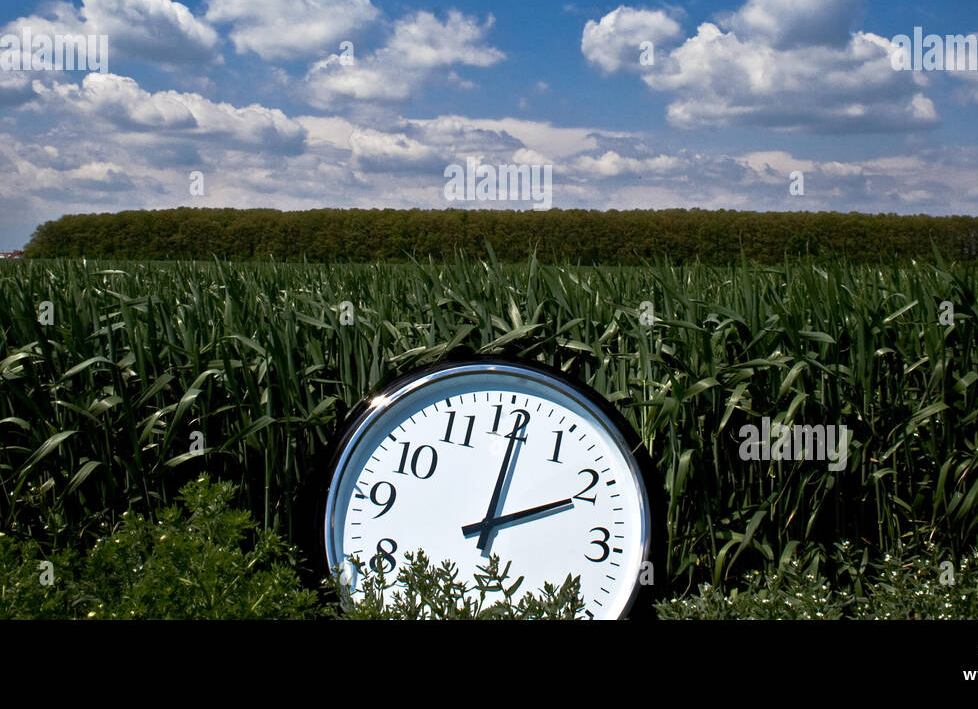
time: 2:01
